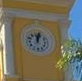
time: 12:03
